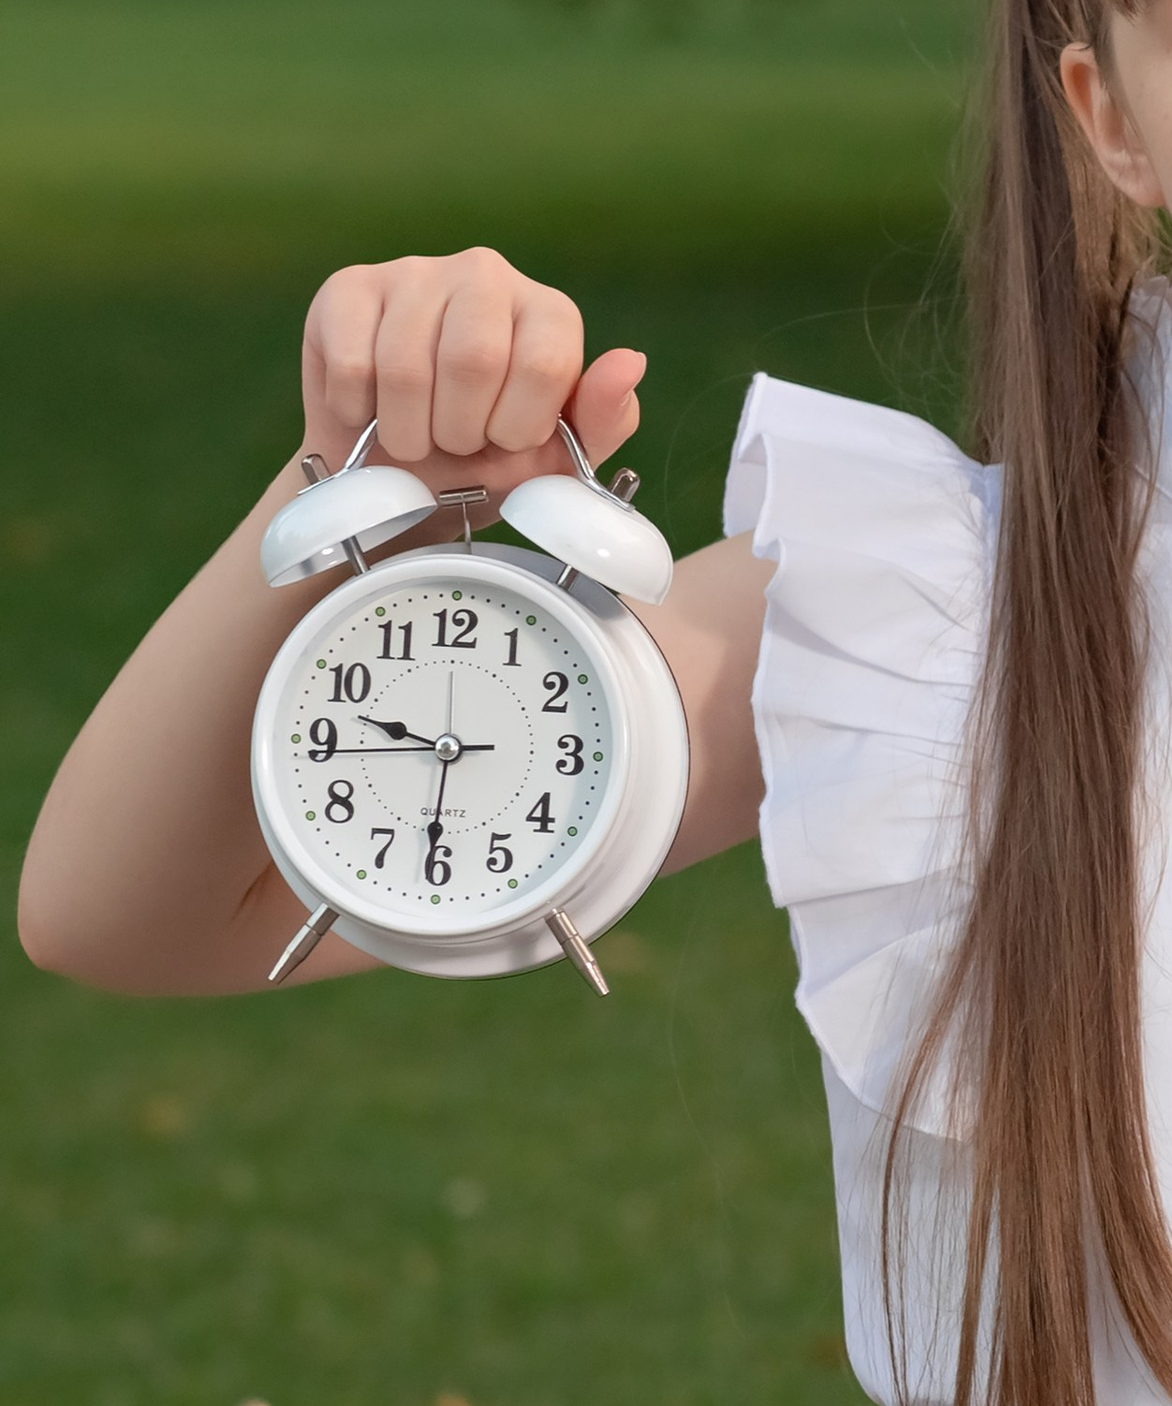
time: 9:30
